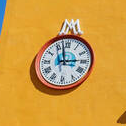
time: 2:57
